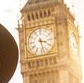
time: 3:27
